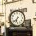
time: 6:38
